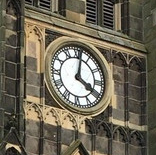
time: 4:01
